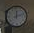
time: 12:12
